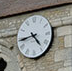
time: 4:43
